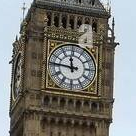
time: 11:46
